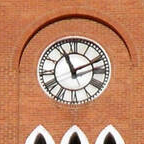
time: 11:11
